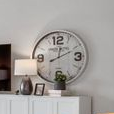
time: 12:10
